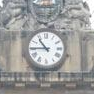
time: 10:45
